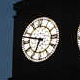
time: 6:47
